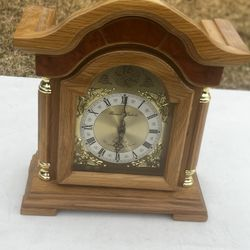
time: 6:00
